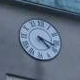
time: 4:17
